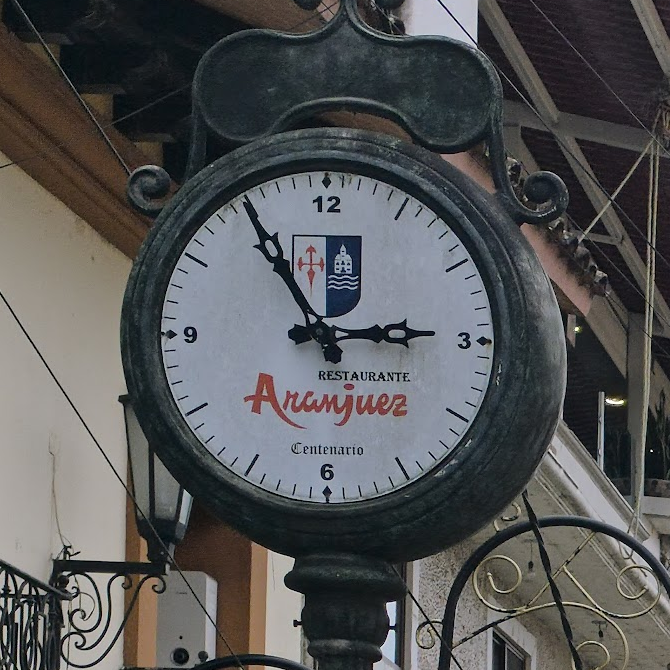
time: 2:54
